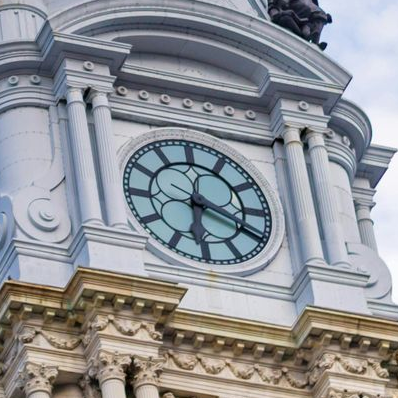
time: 6:19
